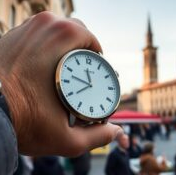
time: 11:47
